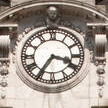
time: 3:35
